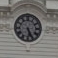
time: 5:26
